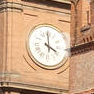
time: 3:59
